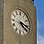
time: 4:16
